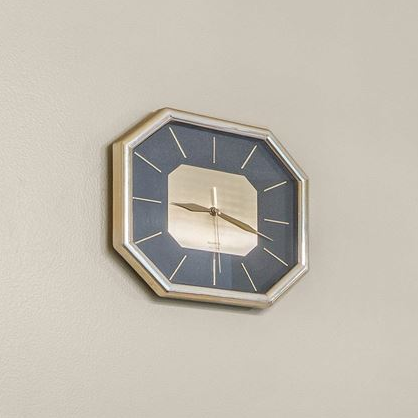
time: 3:45
